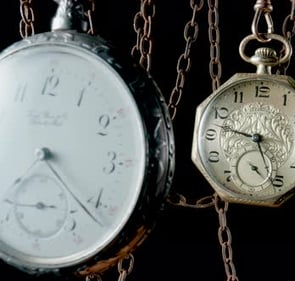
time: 7:22
